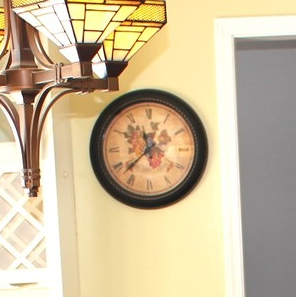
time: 11:37
